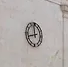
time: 11:42
